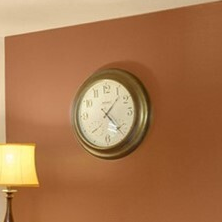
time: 1:22
